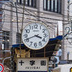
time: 3:41
